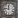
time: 11:46
